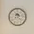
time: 3:22
